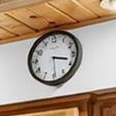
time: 3:29
